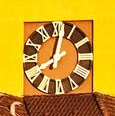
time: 8:02
